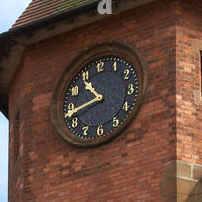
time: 10:43
